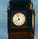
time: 7:57
